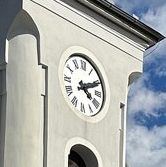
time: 4:10
